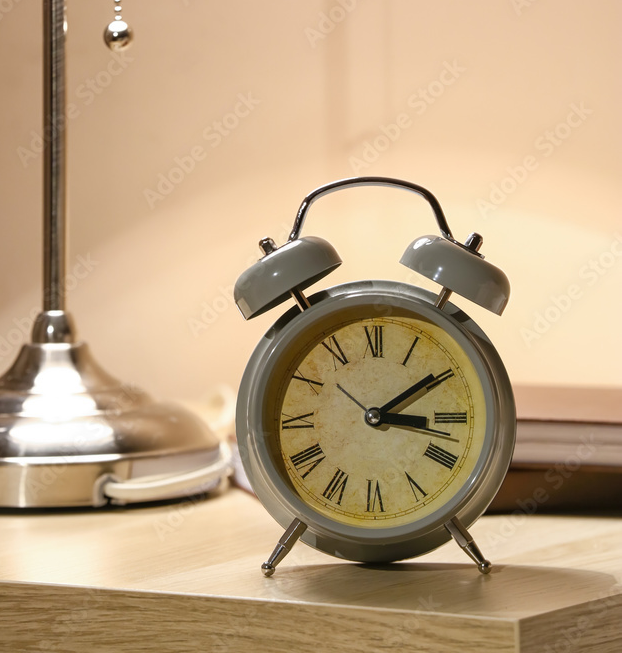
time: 3:09
